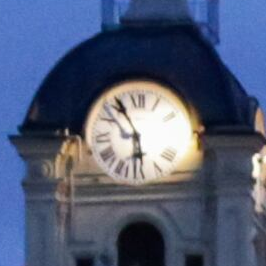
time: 5:55
